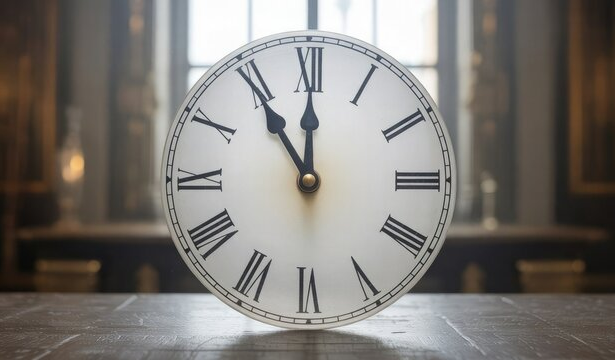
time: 11:54
